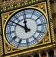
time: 11:51
